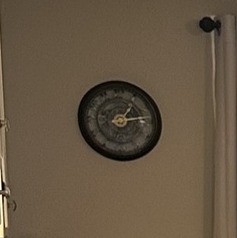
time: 1:13
